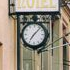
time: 7:07
